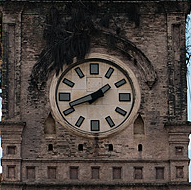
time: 1:41
